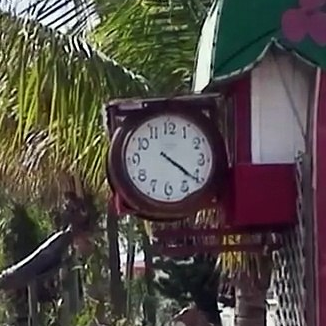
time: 4:21
